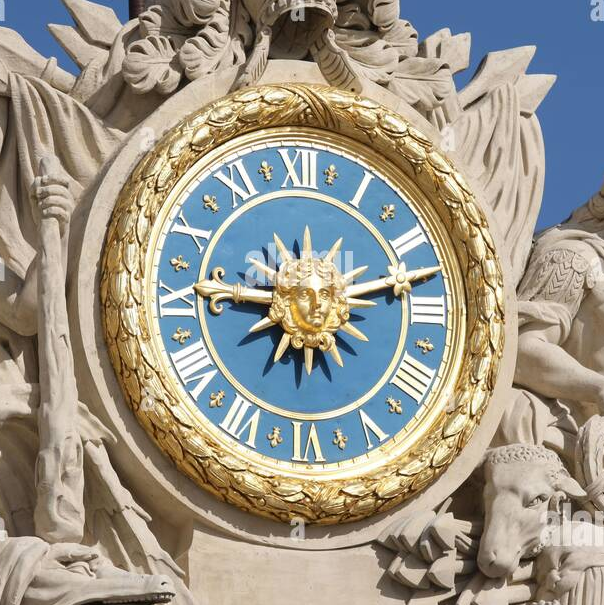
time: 9:12
